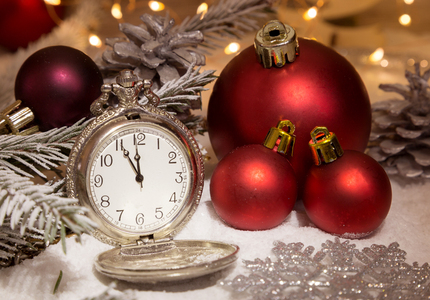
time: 11:55
